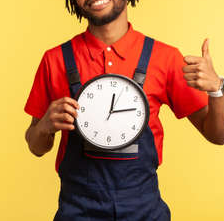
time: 12:13
